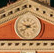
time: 9:39
